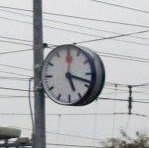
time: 5:18
